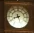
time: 8:27
